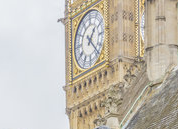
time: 1:22
